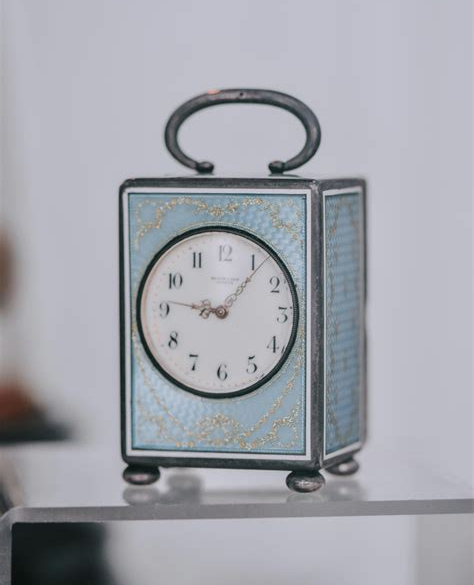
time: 9:07
